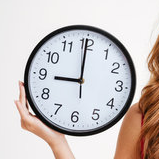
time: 8:59
